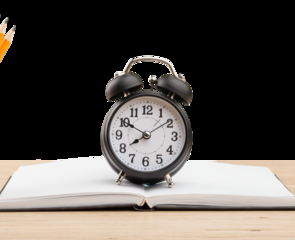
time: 7:50
